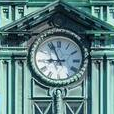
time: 8:56
